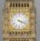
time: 4:18
